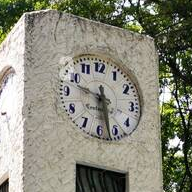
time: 9:28
